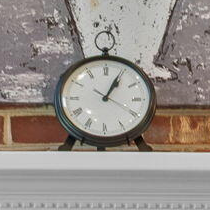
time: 1:04
